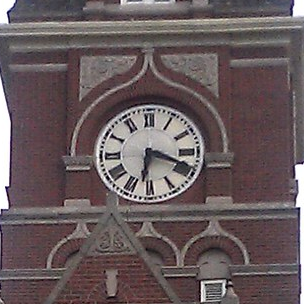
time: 6:18
